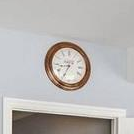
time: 8:34
